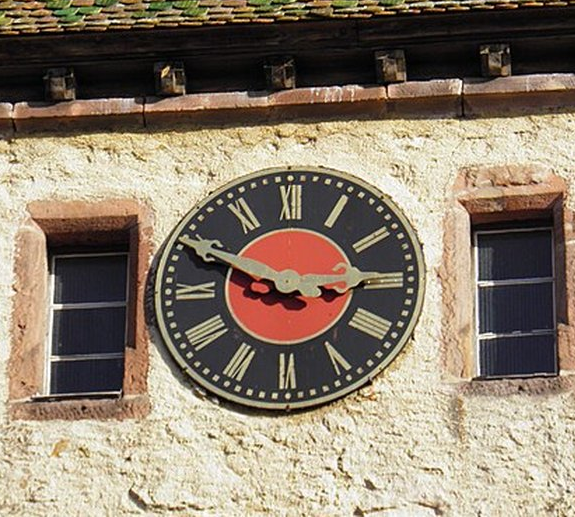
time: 2:49
